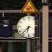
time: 6:37
